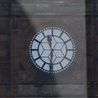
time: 11:31
